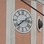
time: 2:38
